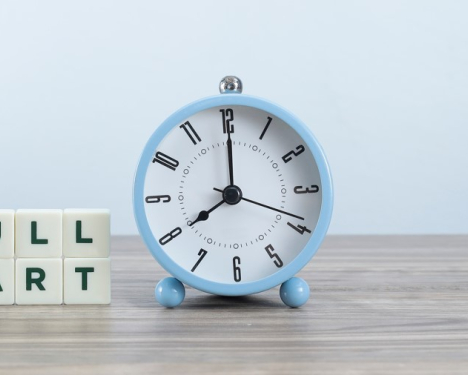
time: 8:00
